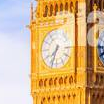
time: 7:33
